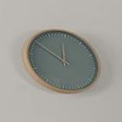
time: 11:50
